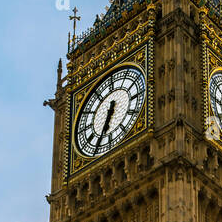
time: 6:34
